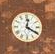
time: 12:20
